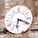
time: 6:18
